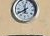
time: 11:39
